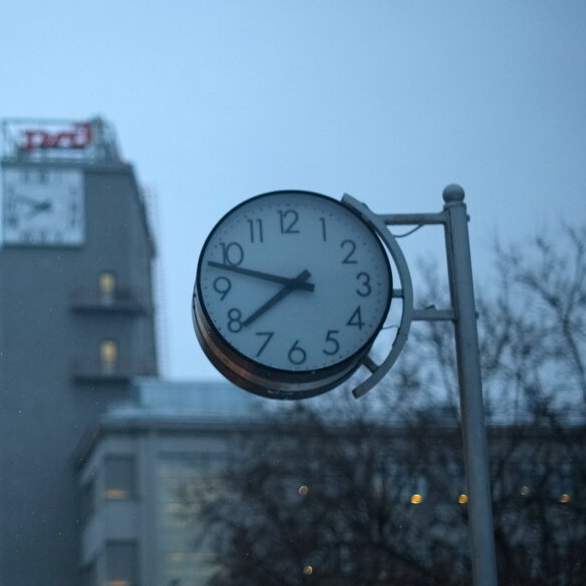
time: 7:47
